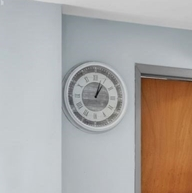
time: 1:02
